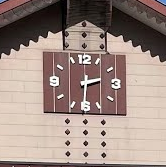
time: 2:30
